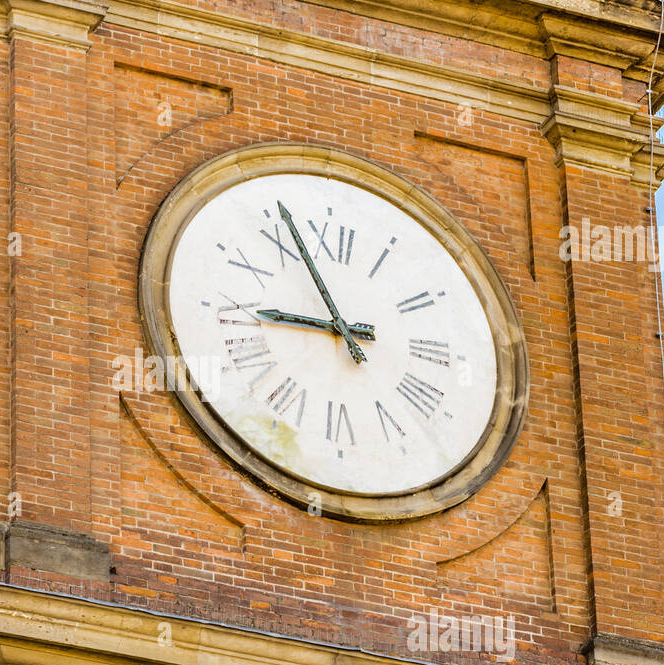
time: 8:56
